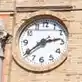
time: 2:39
